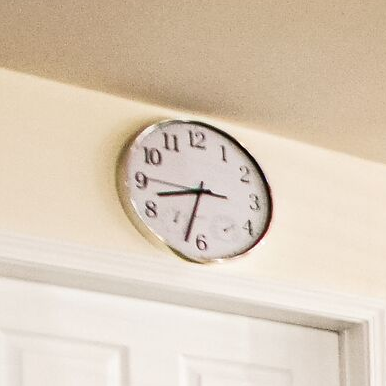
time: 8:32
